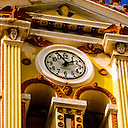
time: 1:55
